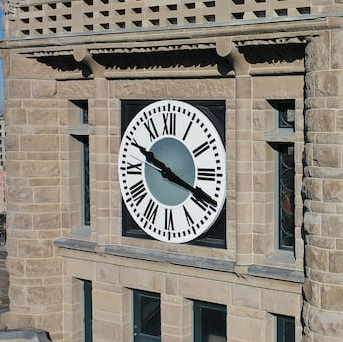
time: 3:49
